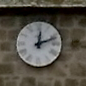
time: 12:11
